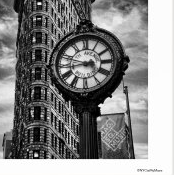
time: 3:43
